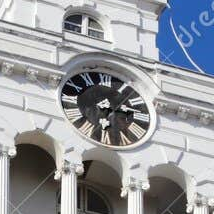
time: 6:15
